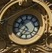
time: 10:36
